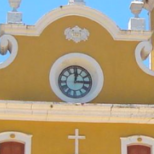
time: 12:14
